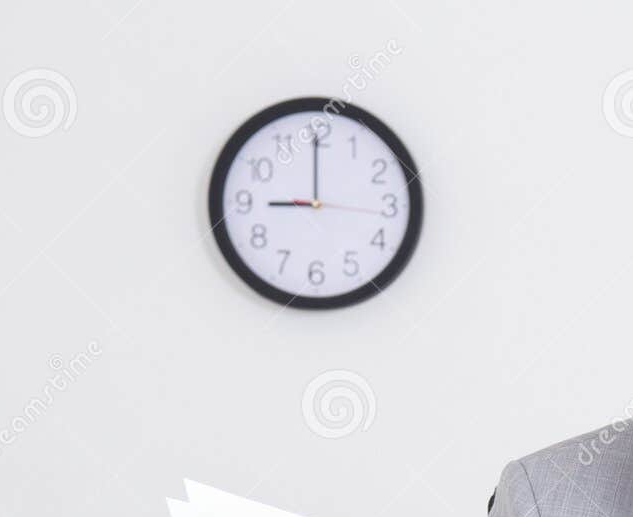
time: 9:00
